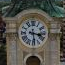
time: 3:29
